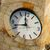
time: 11:42
